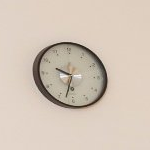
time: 9:32
